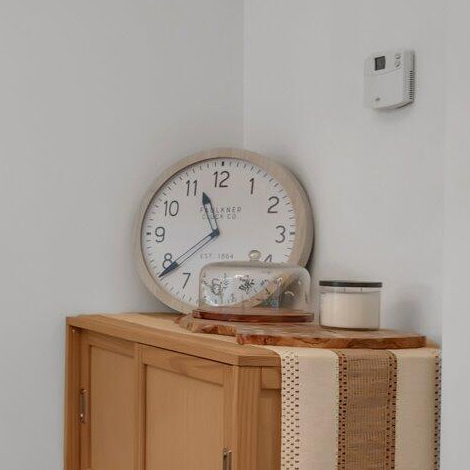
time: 11:38
